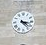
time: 3:22
